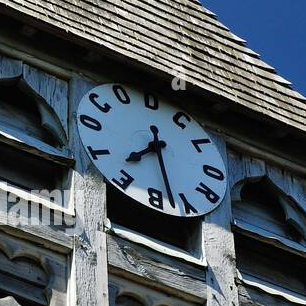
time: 7:28
